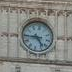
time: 4:44
